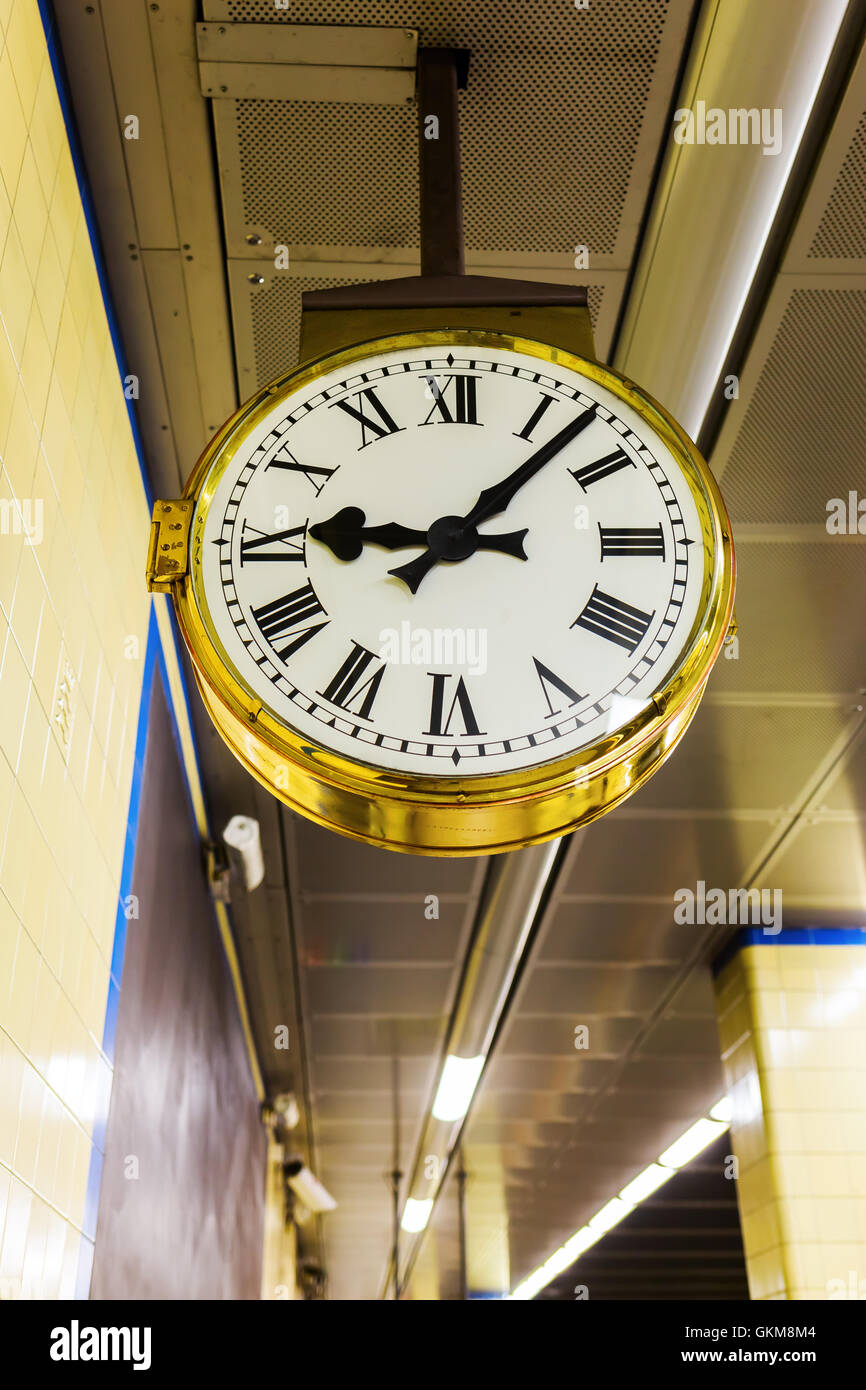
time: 9:07
